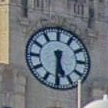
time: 5:30
